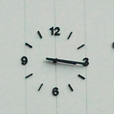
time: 3:15
